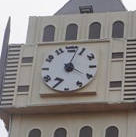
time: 4:03
